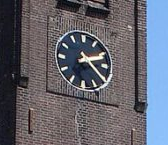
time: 2:21
